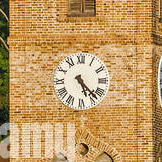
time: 5:22
